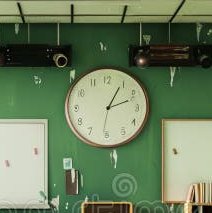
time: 1:11
